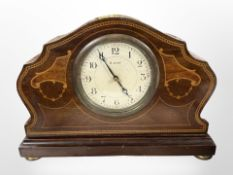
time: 4:55
